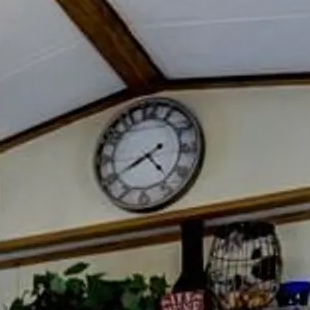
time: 4:40
